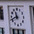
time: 11:41
